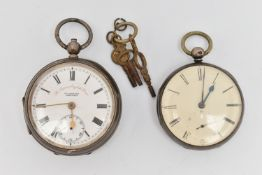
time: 5:44
